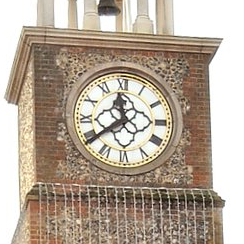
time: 11:39
